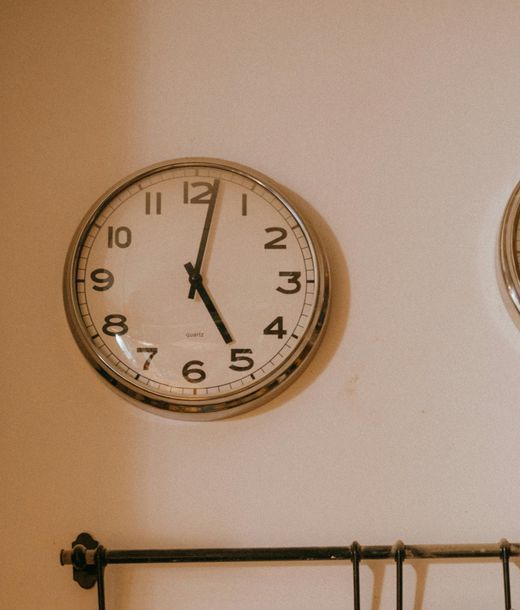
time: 5:01
